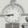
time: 8:45
